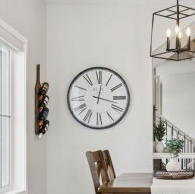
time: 12:17
